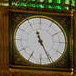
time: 11:25
